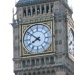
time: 7:51
